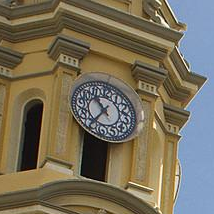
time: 10:36
